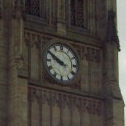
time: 9:50
